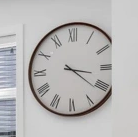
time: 3:21
